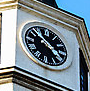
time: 3:52
